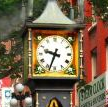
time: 9:33
